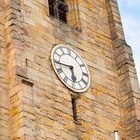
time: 5:44
